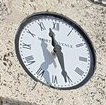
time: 11:26
